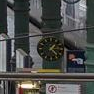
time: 1:22
